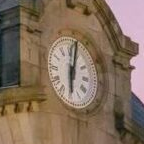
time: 6:01
